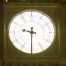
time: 9:30
